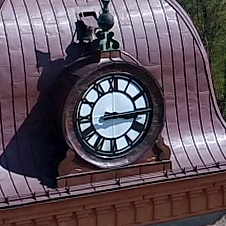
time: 3:14
